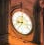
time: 9:01
